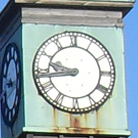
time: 9:43
